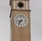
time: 8:36
